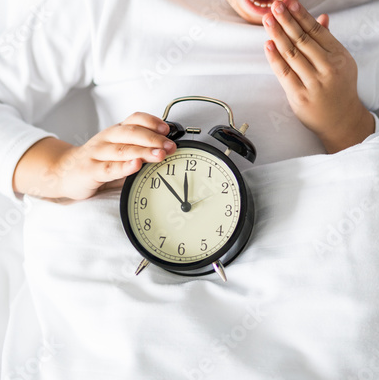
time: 11:52
